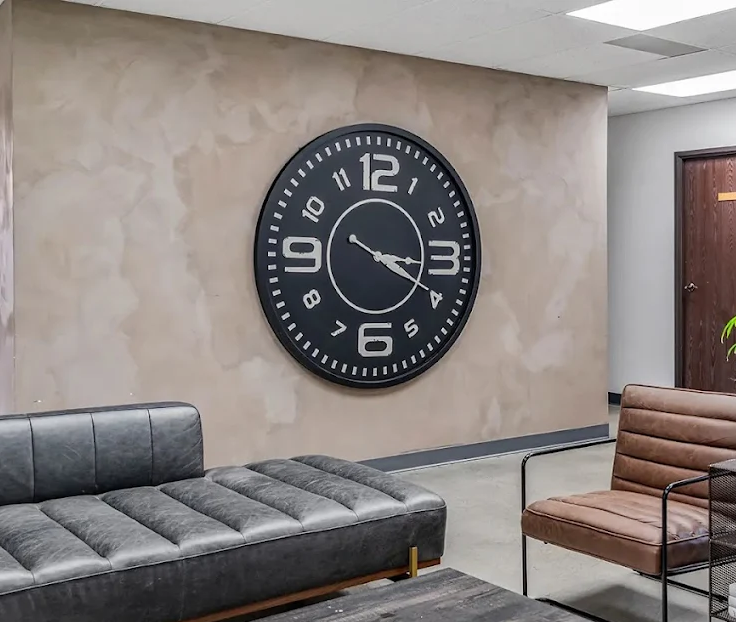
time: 3:19
